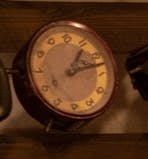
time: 1:12
